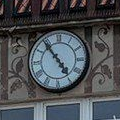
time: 4:53
